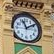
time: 11:09
